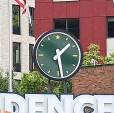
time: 1:28
